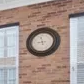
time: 8:57
